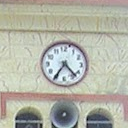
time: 4:35
